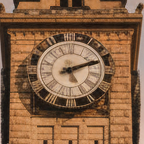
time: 2:11
